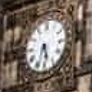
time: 5:33
